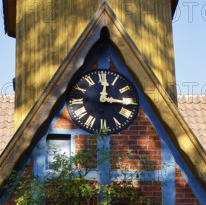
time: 12:16
